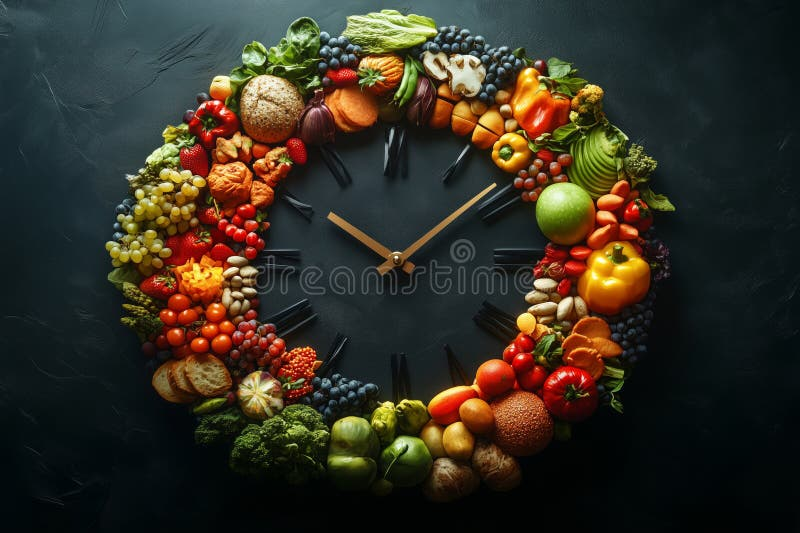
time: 10:07
